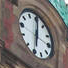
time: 6:00
